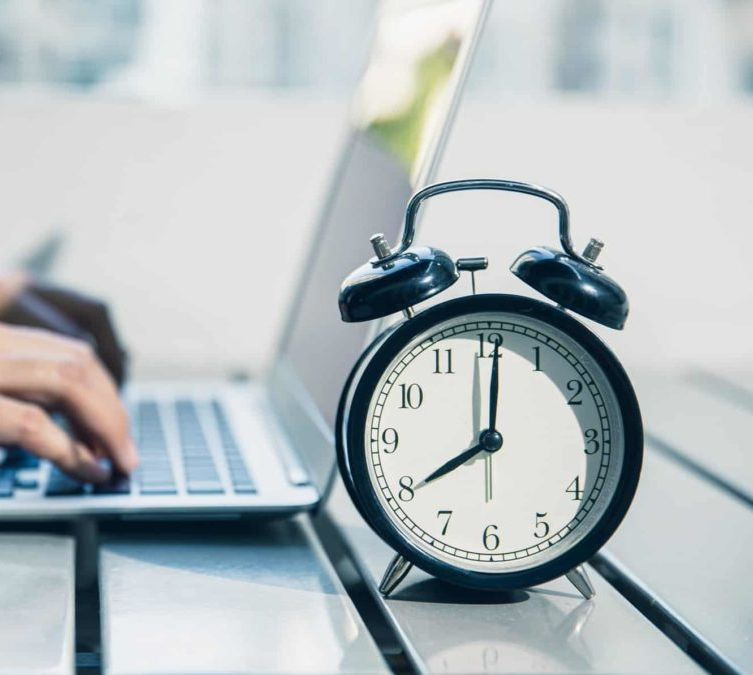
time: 8:00
